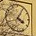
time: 4:04
